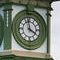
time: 3:58
